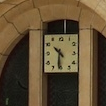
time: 10:31
